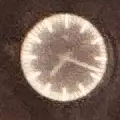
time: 7:18
